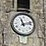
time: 11:12
